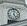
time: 12:24
